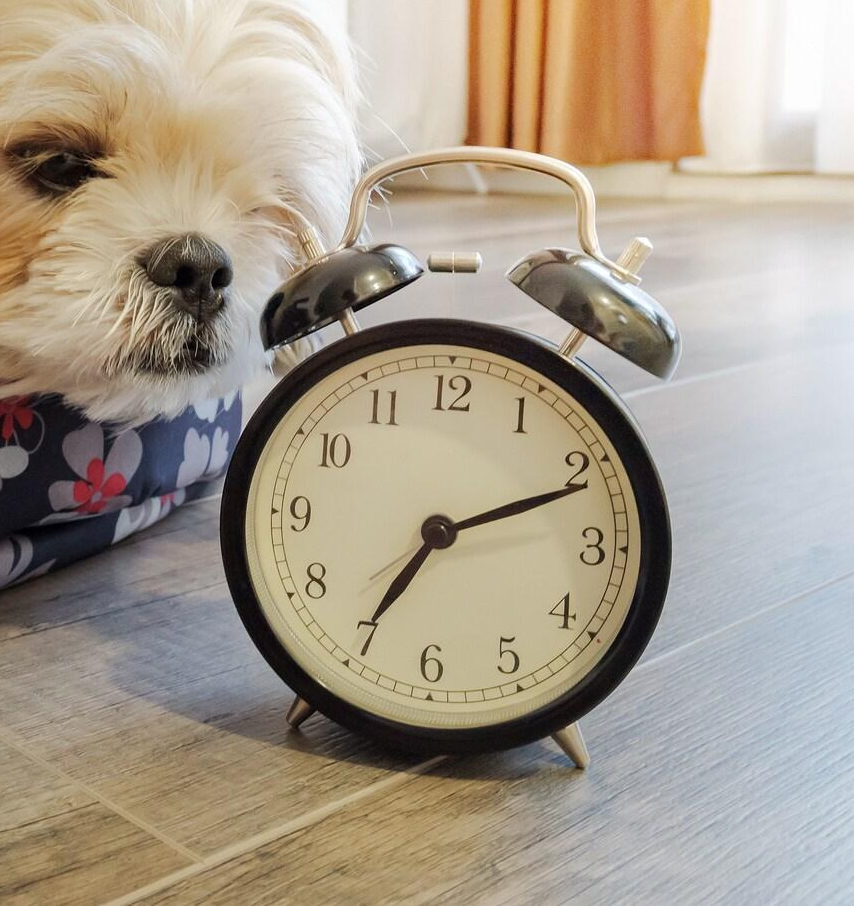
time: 7:11
